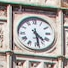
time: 4:28
